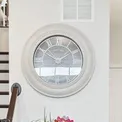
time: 1:50
